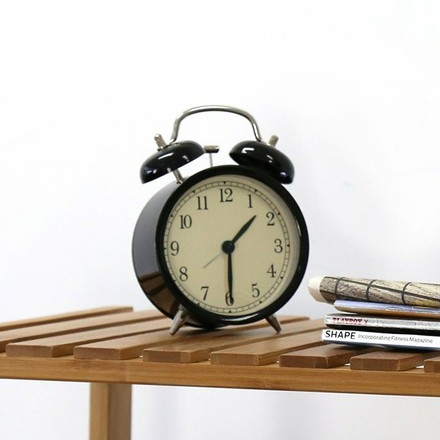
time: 1:29
